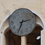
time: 2:33
